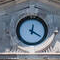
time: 12:19
